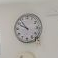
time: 9:53
